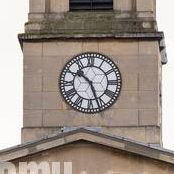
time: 10:26
